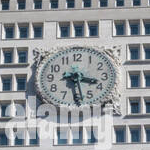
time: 3:28
